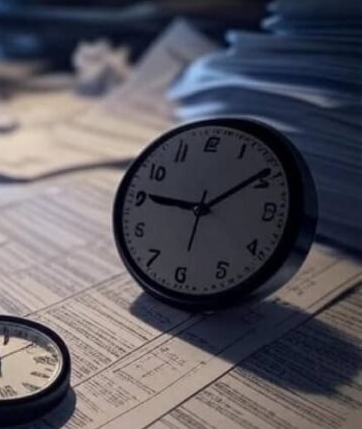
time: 9:09
